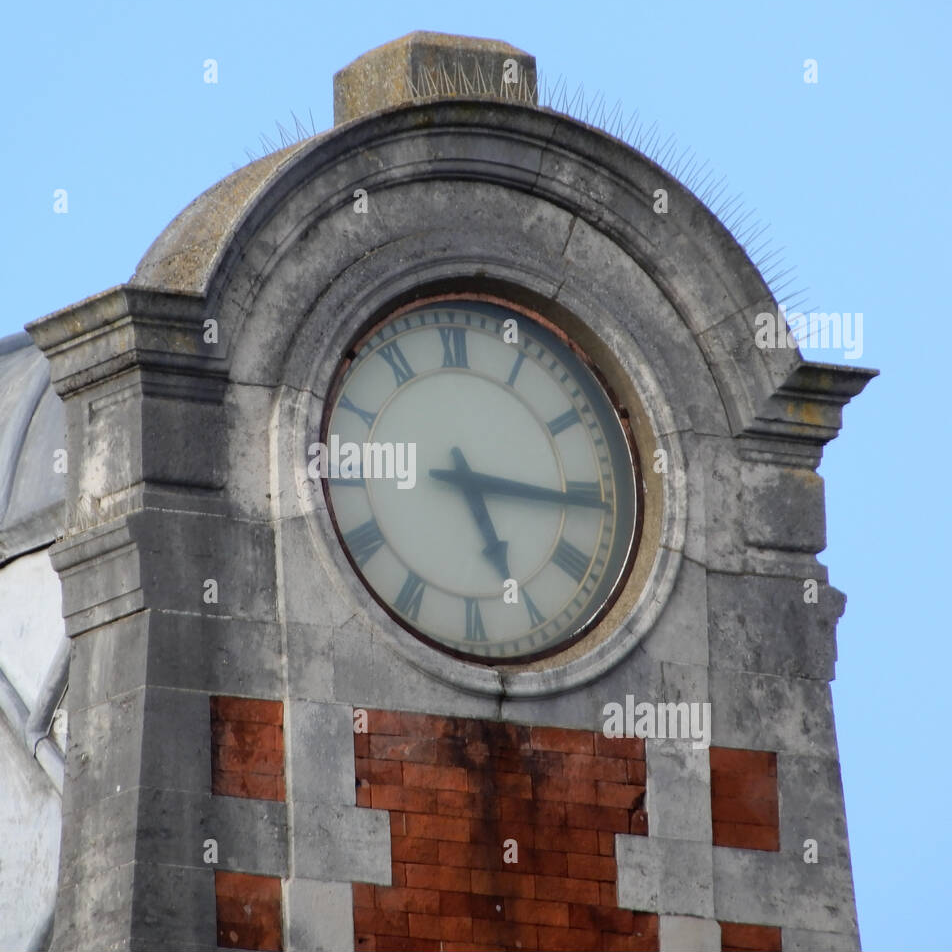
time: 5:15
